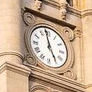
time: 4:58
